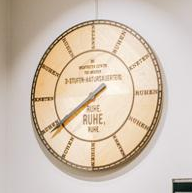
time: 7:39
